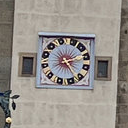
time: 2:23
